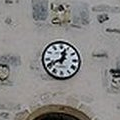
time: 12:40
